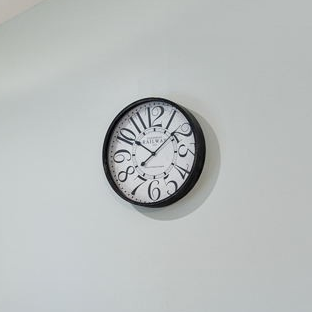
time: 10:07
